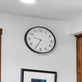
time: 9:34
